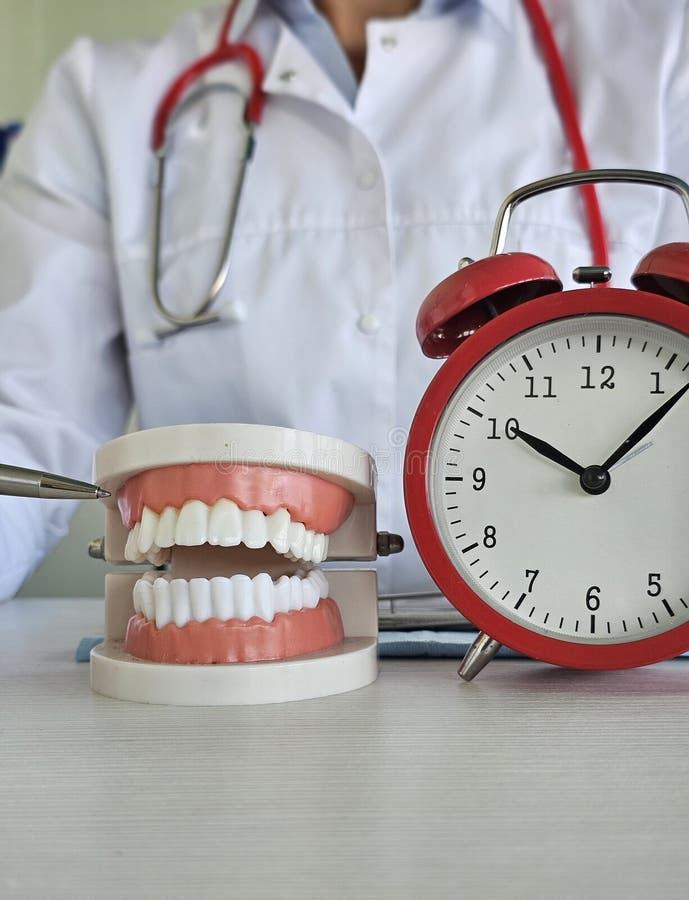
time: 10:07
